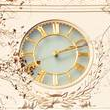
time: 2:12
